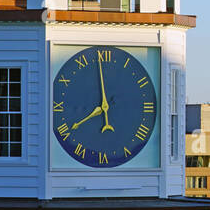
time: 7:58
